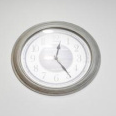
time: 12:24
